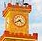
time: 4:40
